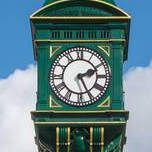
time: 2:25
